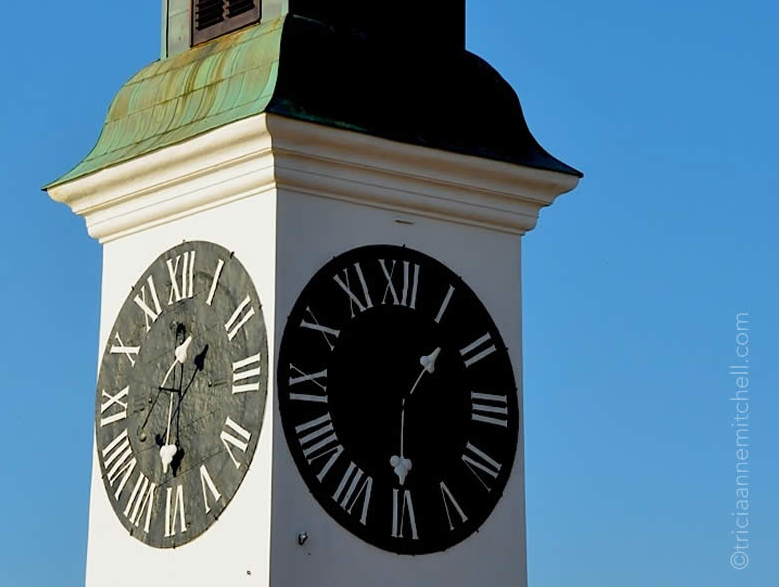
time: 1:30
